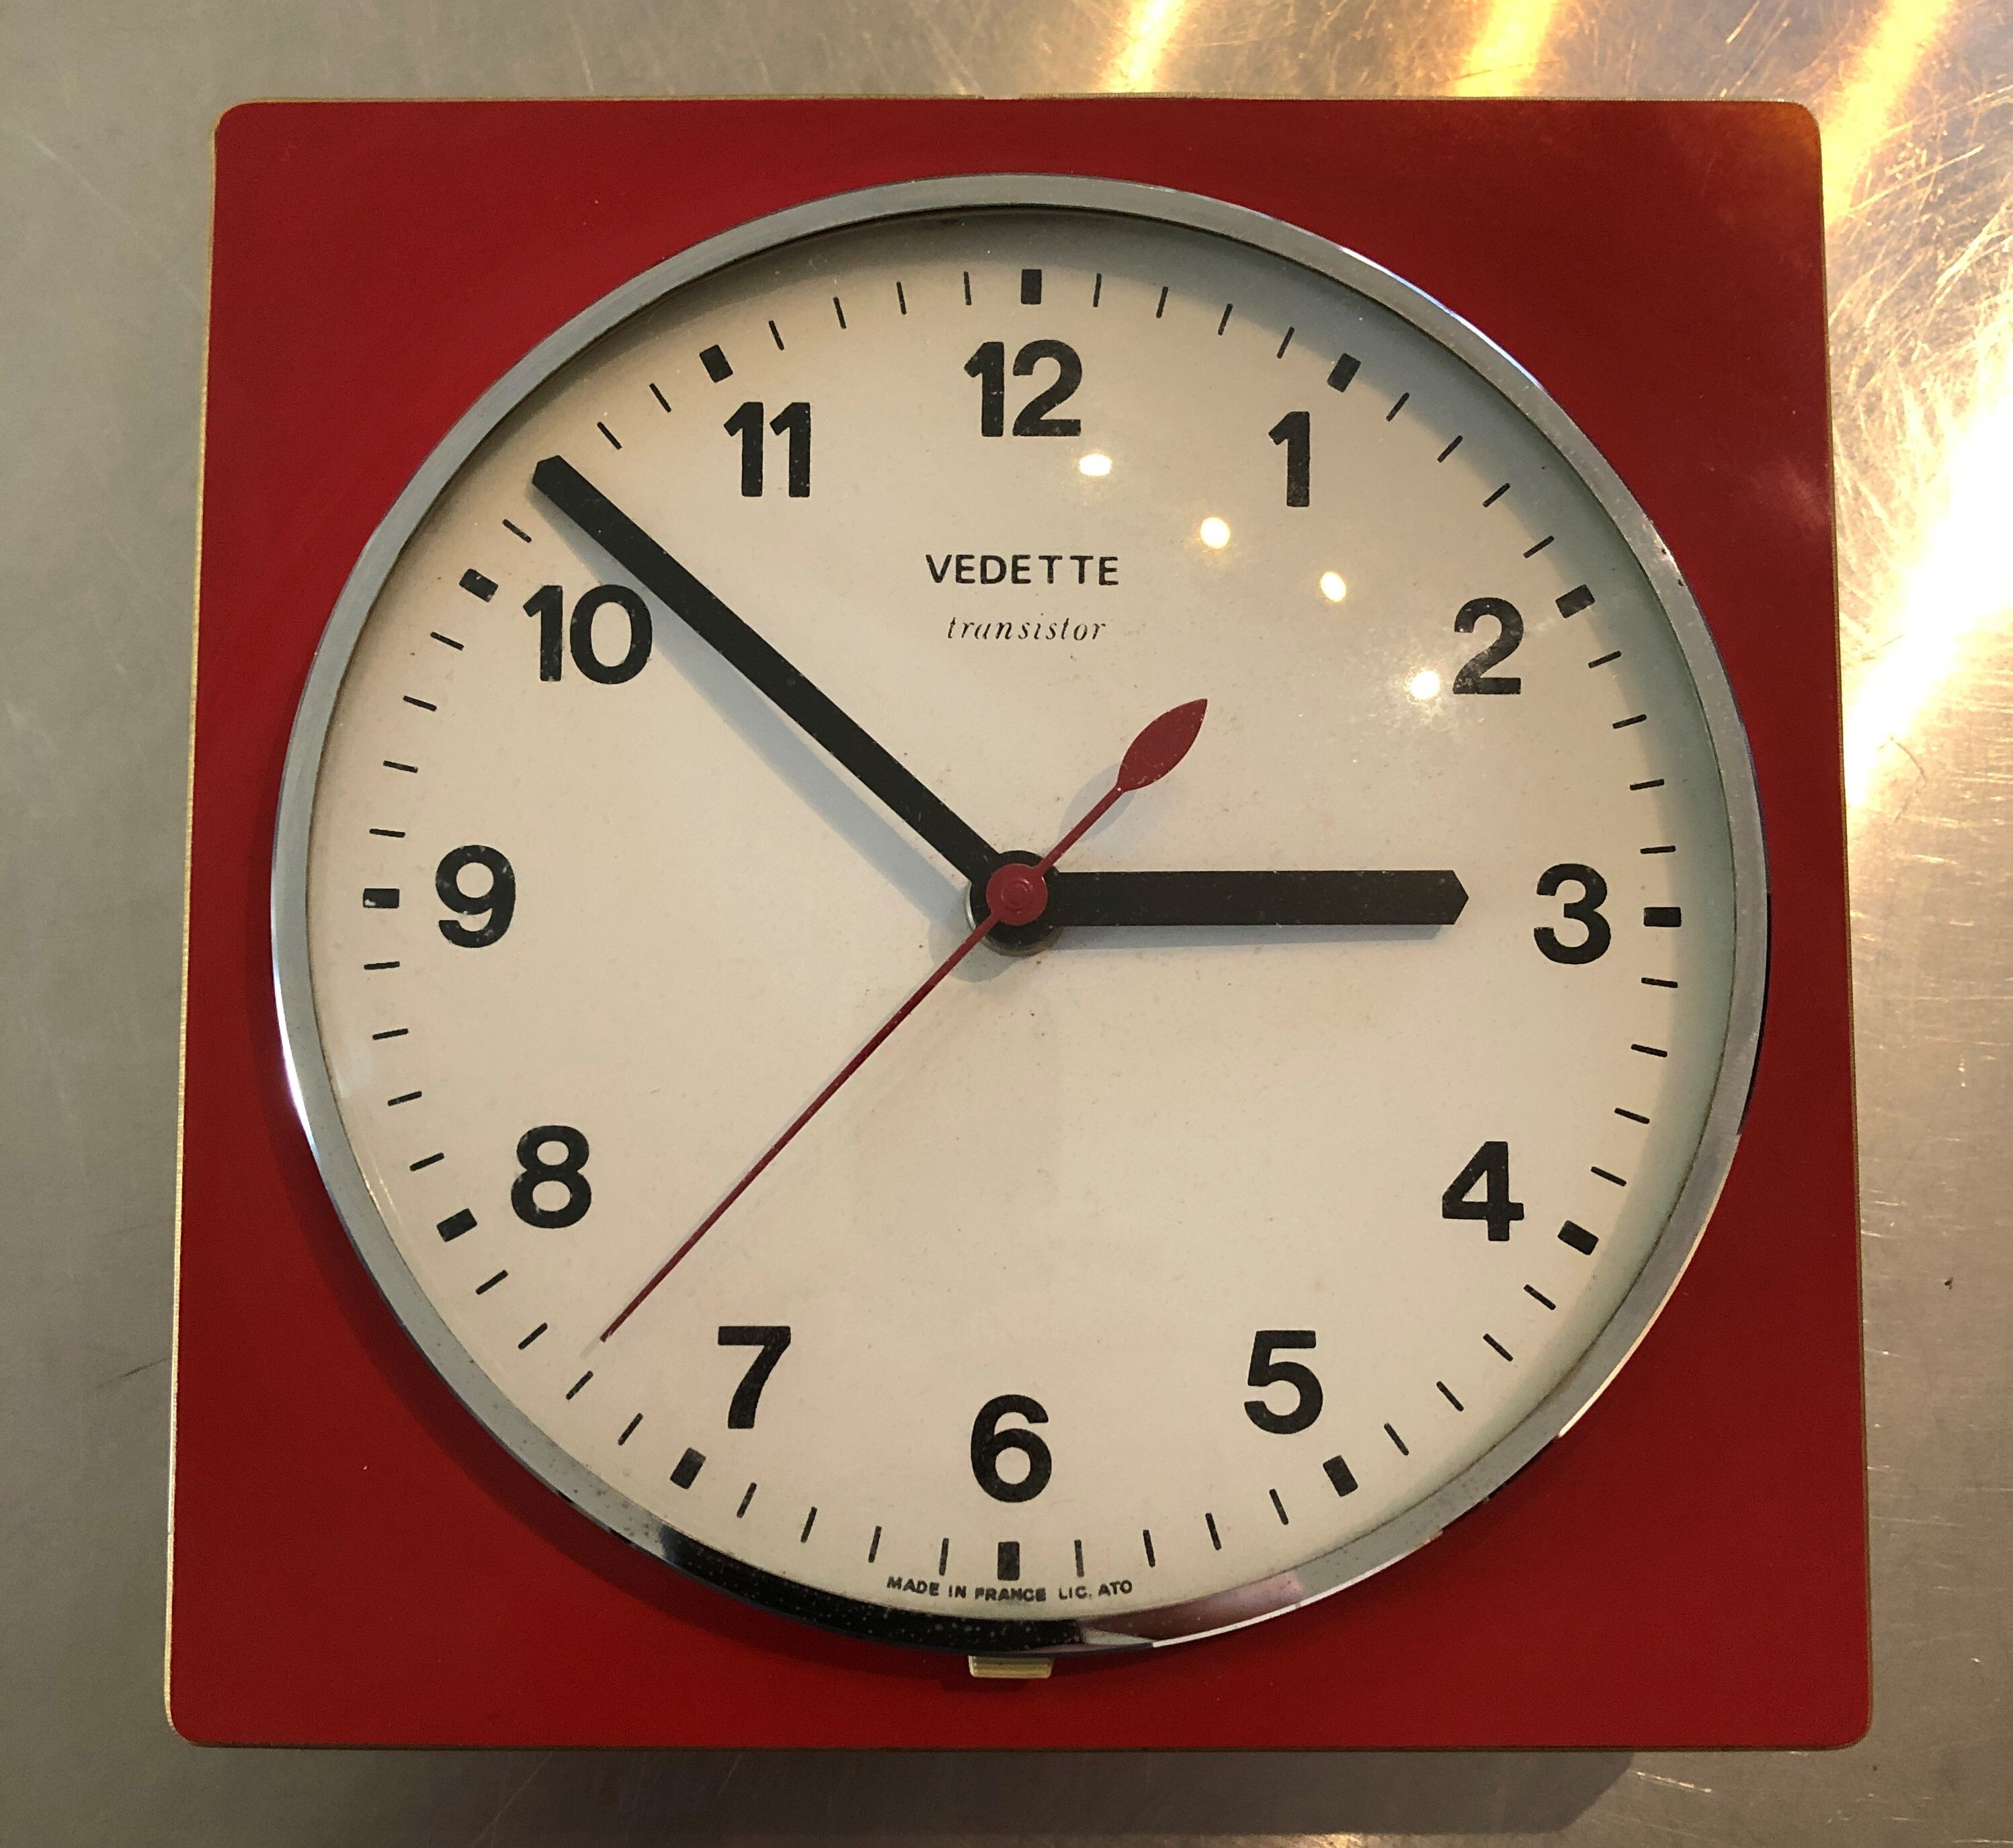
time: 2:51
